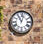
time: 11:02
